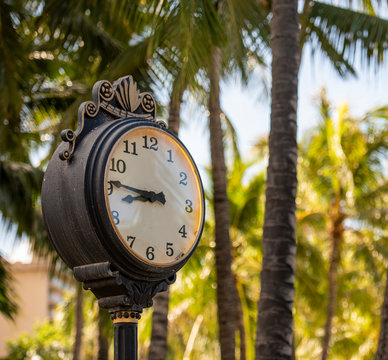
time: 8:46
